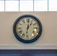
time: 1:01
